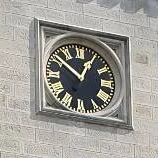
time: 12:51
